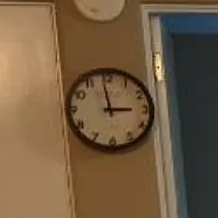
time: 2:58
